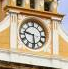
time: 9:28
